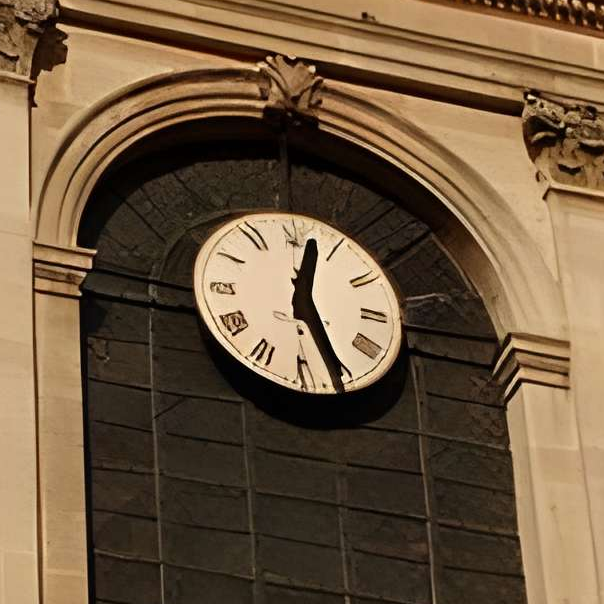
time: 12:26
